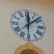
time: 12:08
